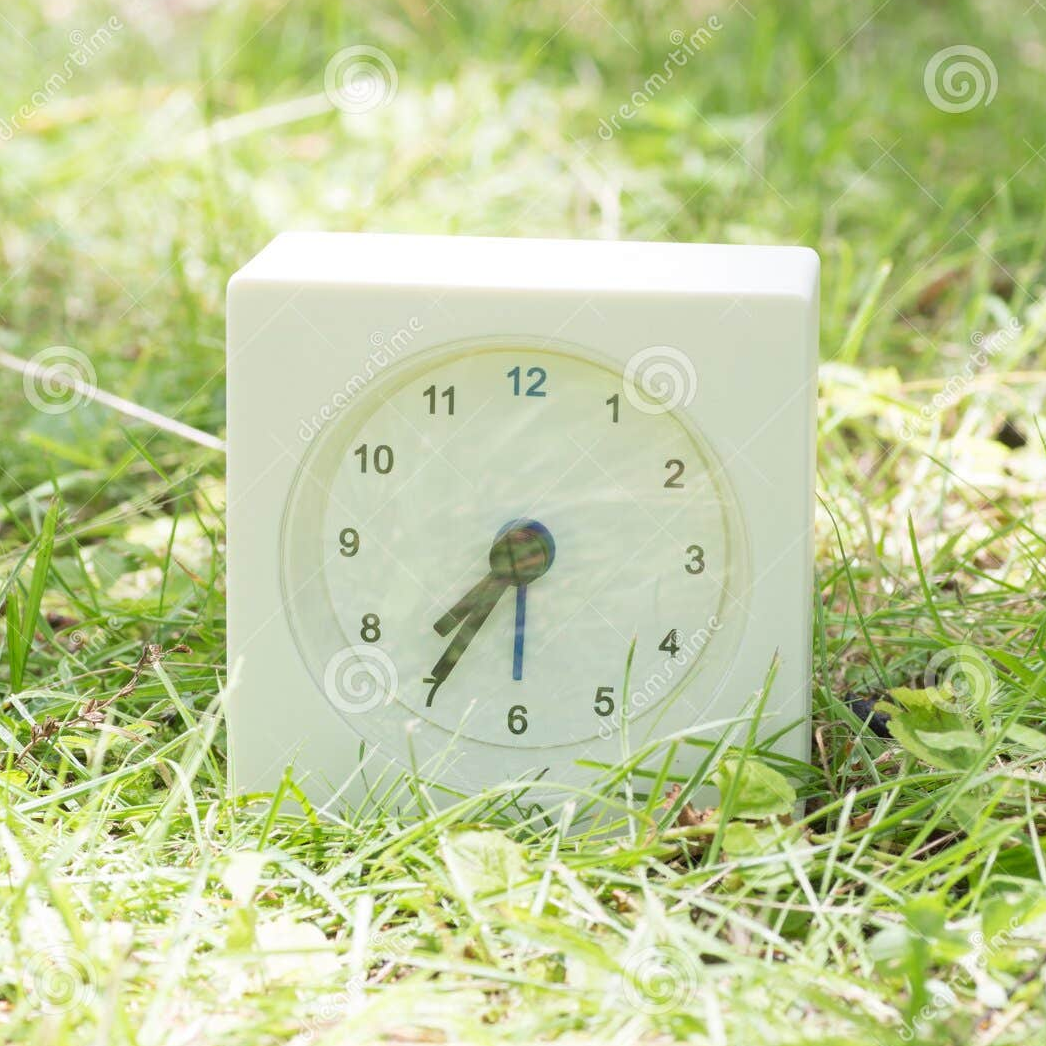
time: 7:35
